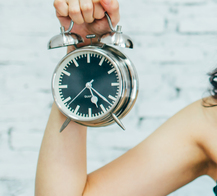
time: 5:22
